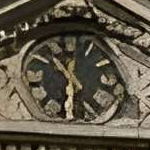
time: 10:30
